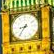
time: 8:36
